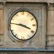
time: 3:46
